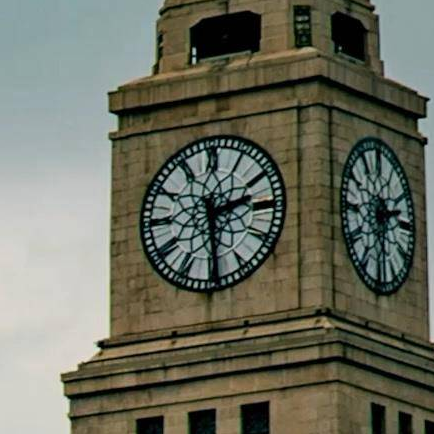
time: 2:29
